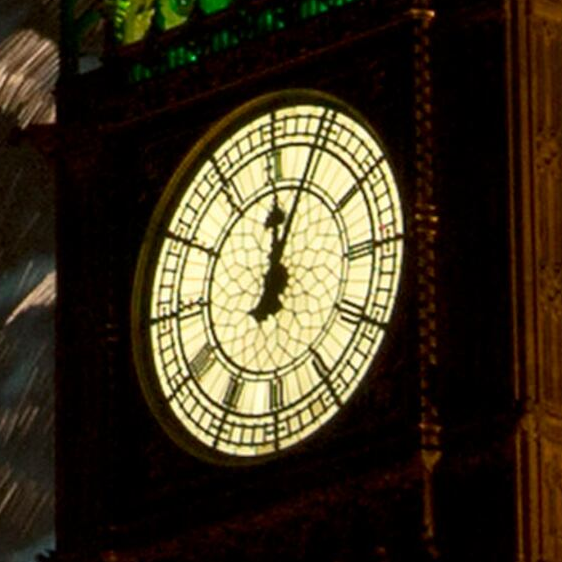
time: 12:04
